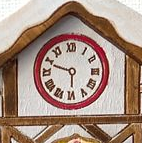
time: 5:48
